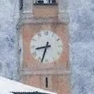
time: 8:33
